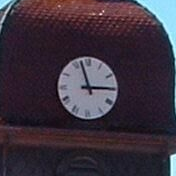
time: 2:57
